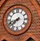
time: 7:42
